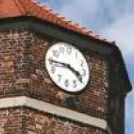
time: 3:44
